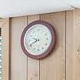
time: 9:41
